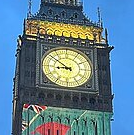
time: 8:51
